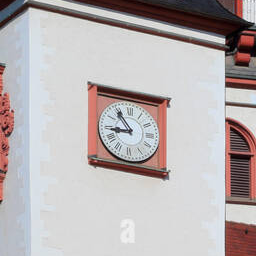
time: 8:54
